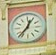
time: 12:36
